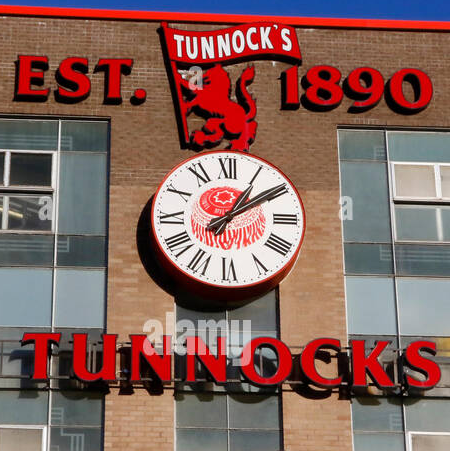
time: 1:09
